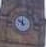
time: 11:51
